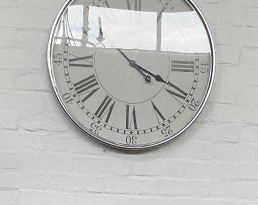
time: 4:19
